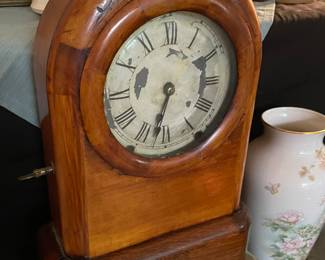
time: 6:32
